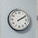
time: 2:09
